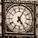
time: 5:05
